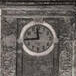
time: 11:44
